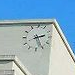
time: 2:25
